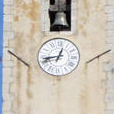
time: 12:42
